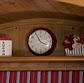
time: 3:55
